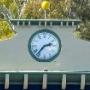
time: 2:36
